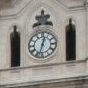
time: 12:32
